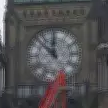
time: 11:52
